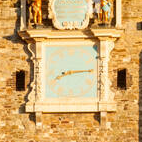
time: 8:14
